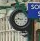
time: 9:43
